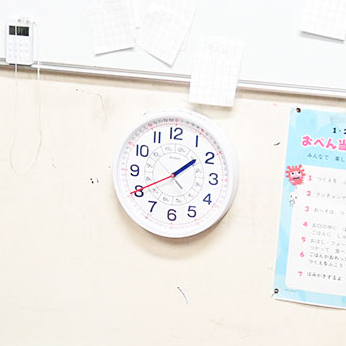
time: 1:40
